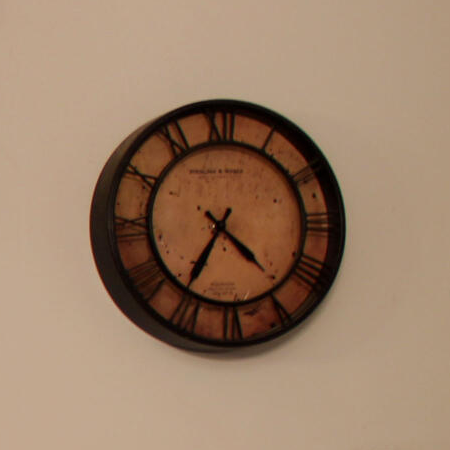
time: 4:35
